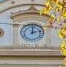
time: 12:12
